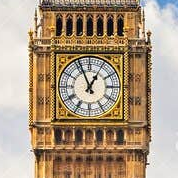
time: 12:56
